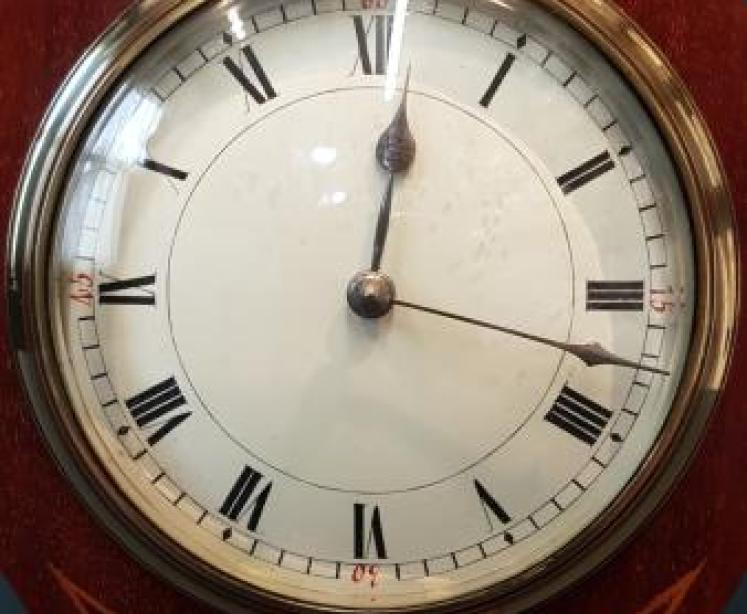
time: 12:17
